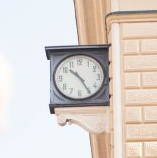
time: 10:24
